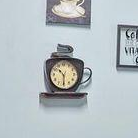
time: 10:30
